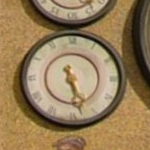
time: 5:27
